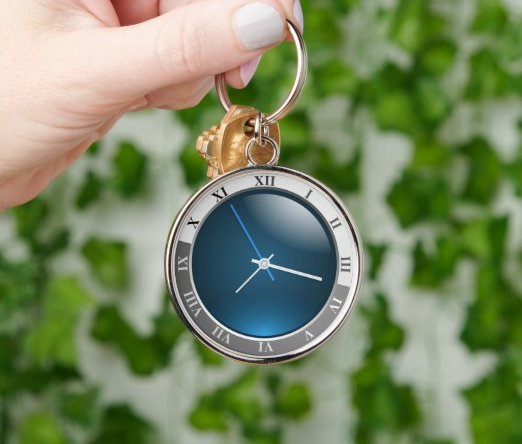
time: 7:17
